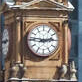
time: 2:46
